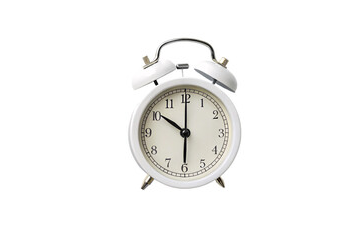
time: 10:00
